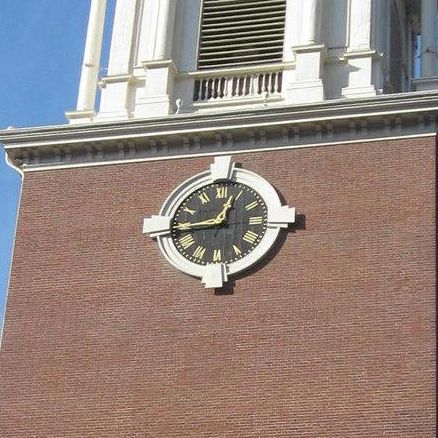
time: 12:43
